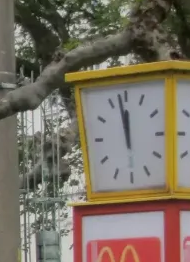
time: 11:58
